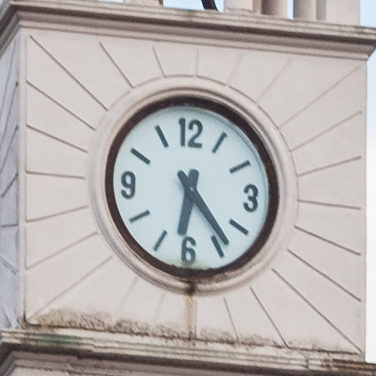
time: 6:23
